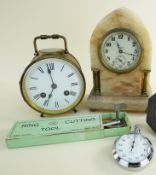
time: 6:58
